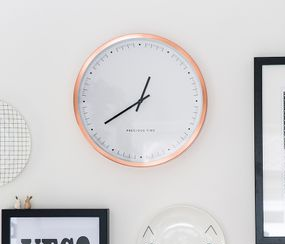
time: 12:40
